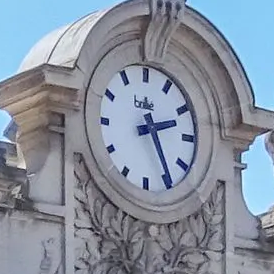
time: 2:24
